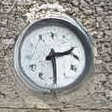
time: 2:29
